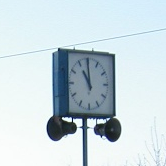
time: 10:59
